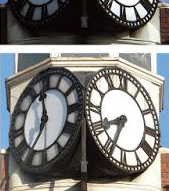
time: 6:40
